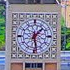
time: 1:28
